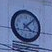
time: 4:07
